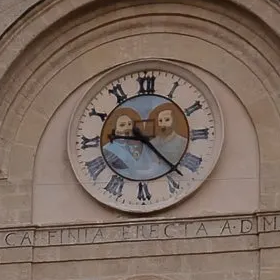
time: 9:22
